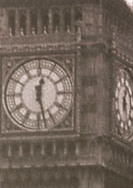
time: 12:27
